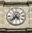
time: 4:37
